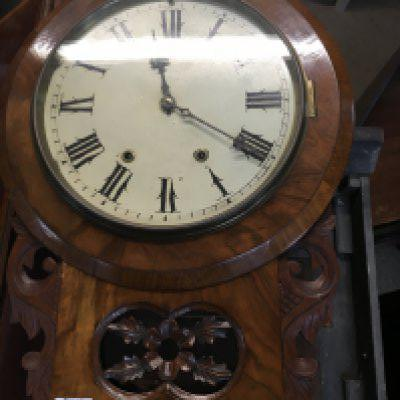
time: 11:20
